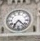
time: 7:22
